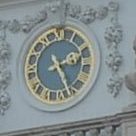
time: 2:24
